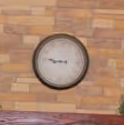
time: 8:46
